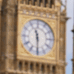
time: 11:29
